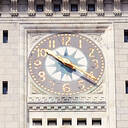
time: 3:51
